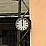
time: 12:00
